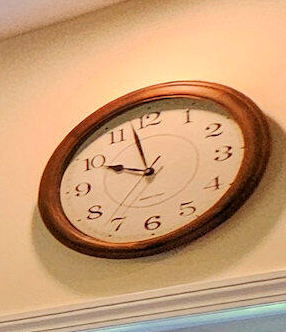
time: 9:57
